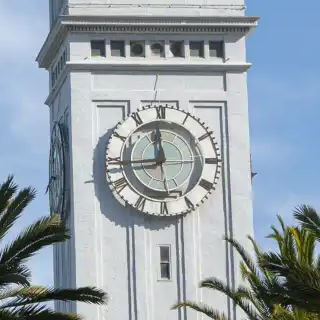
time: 11:44
